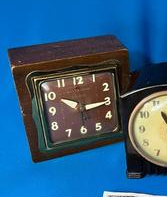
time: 10:14
